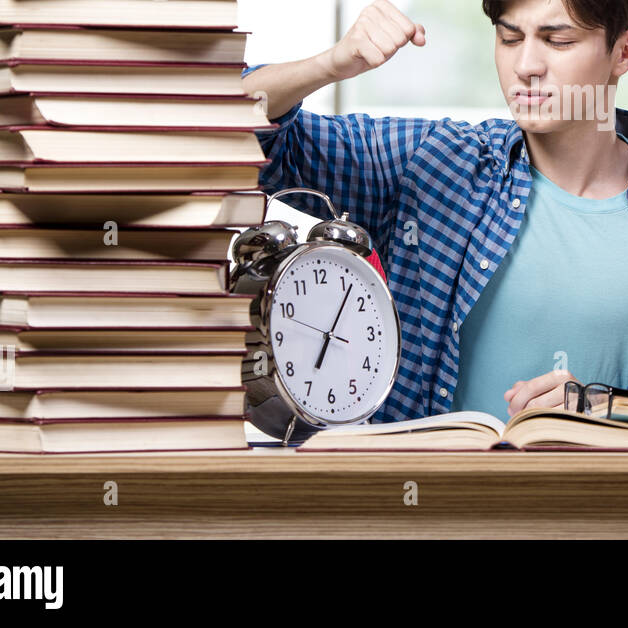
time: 7:06
